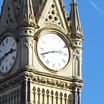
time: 2:41
